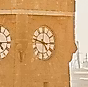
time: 4:47
